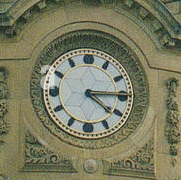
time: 4:14
